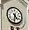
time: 4:31
